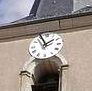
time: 1:56
